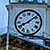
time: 8:08
